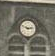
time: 2:48
